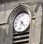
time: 4:32
